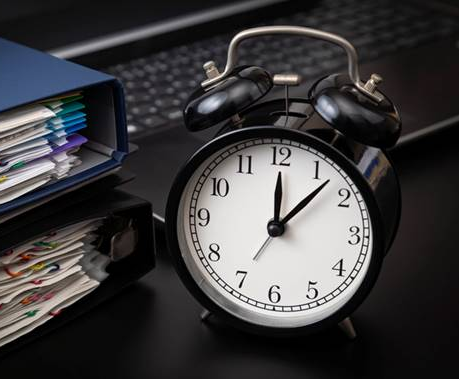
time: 12:07
